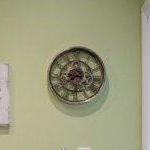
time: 7:15
